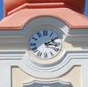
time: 3:09
